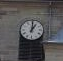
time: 1:00
